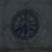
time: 5:40
